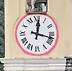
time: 12:17
